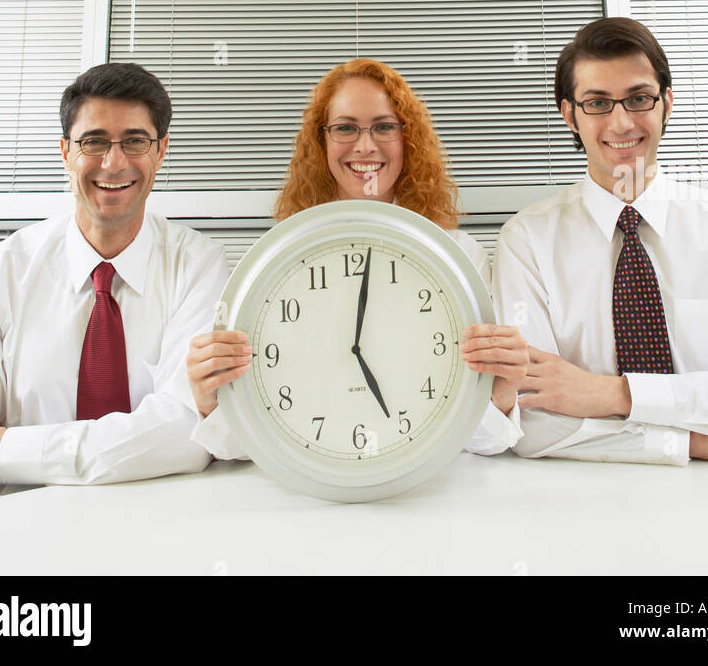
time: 5:01
